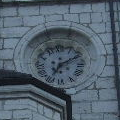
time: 7:10
